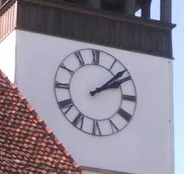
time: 2:08
